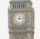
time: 12:13
